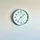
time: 1:36
